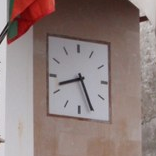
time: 8:25
